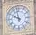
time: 9:57
